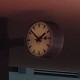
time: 1:52
